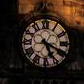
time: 5:18
